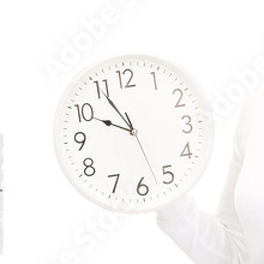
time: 9:55
